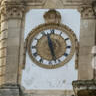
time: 11:27
